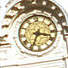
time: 3:34
